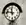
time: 11:46
